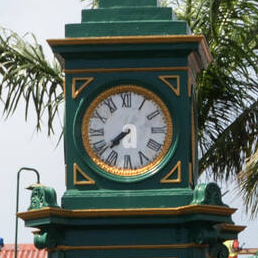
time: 7:37
